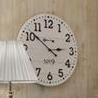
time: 2:51
